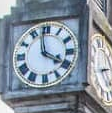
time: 3:58
